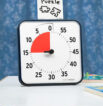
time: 9:00
